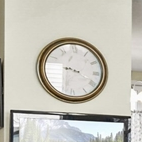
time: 3:32
